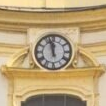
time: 11:57
